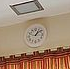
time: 1:08
